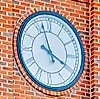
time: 3:57
